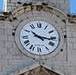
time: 10:16
